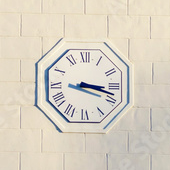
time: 3:17
